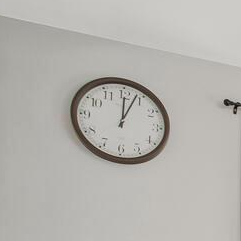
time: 12:03
